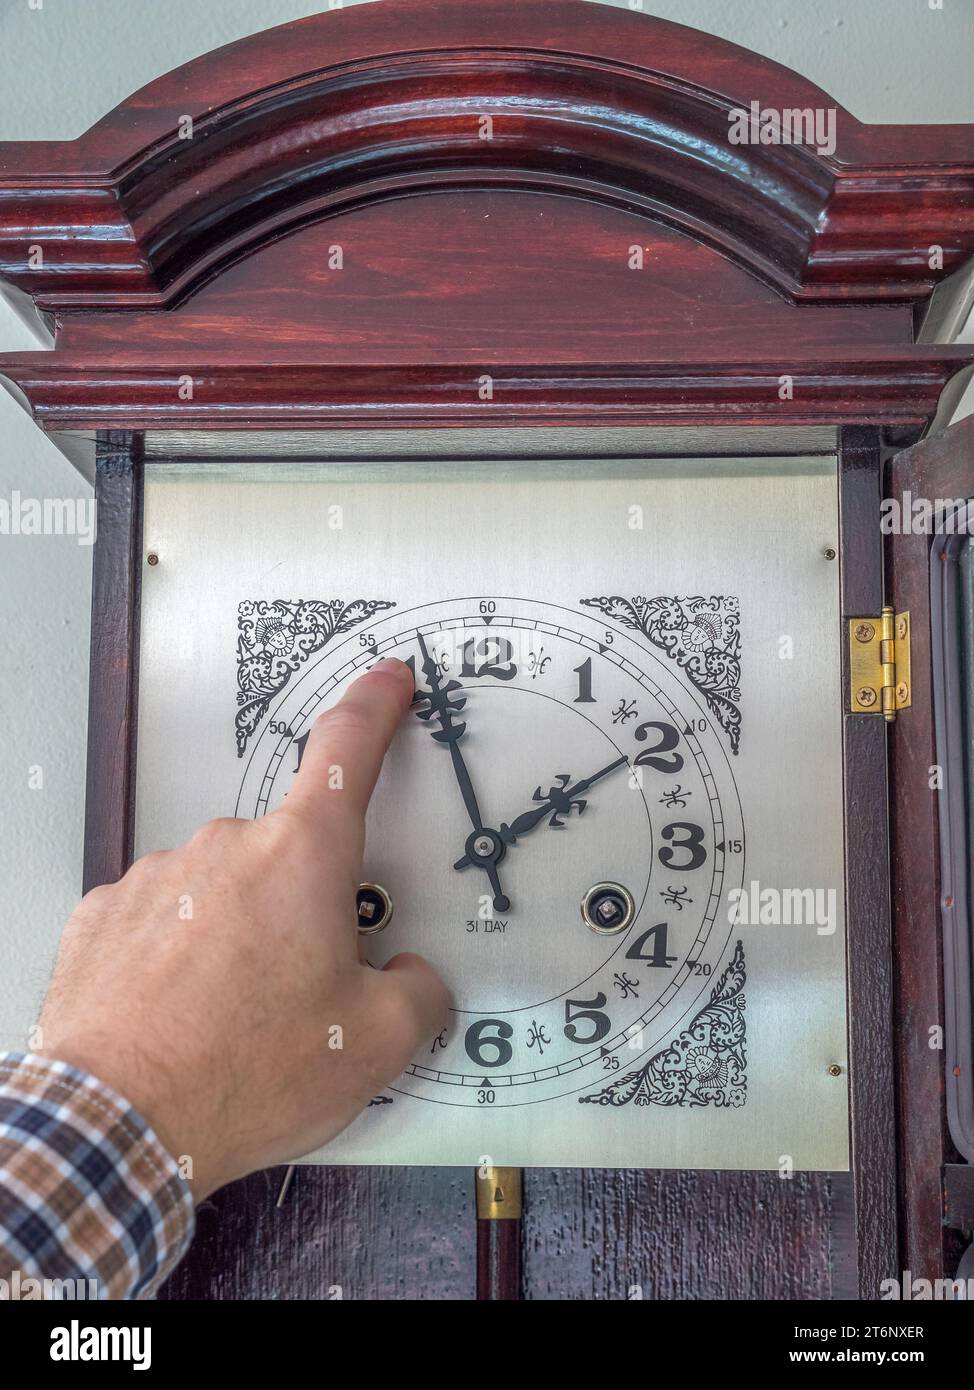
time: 1:56
